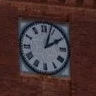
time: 2:03
